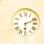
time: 6:11
